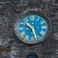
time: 10:27
